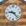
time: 9:23
